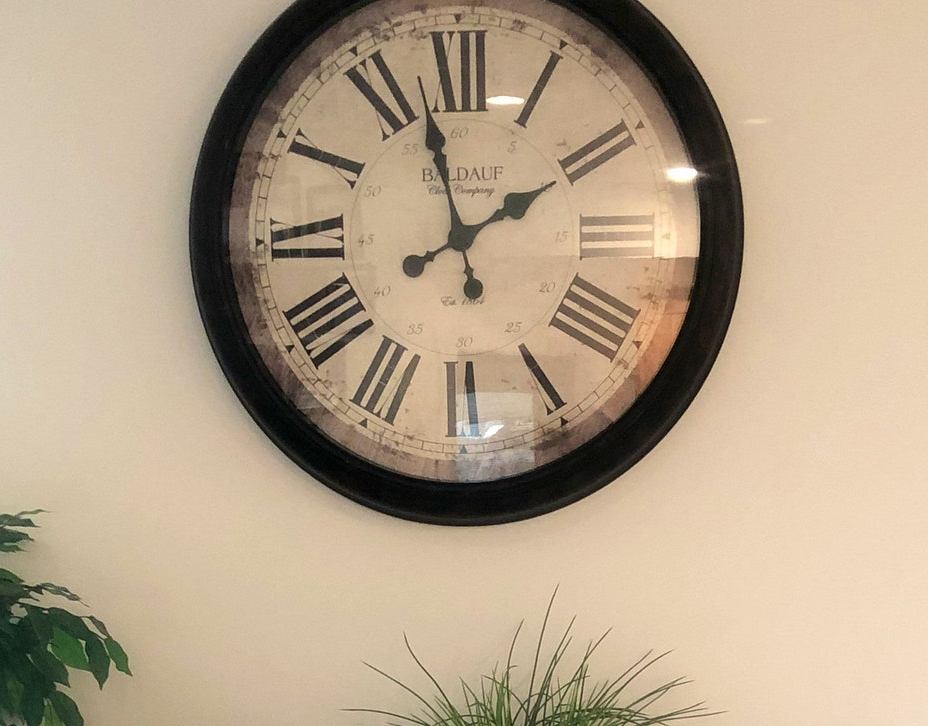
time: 1:57
